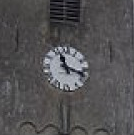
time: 11:17
